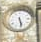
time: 5:28
